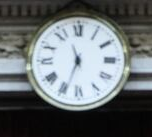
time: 11:33
